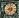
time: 8:36
